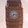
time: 7:15
